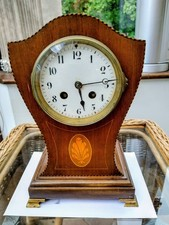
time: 5:14
